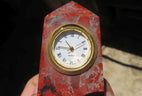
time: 9:10
